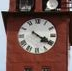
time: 4:19
